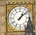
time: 1:08
